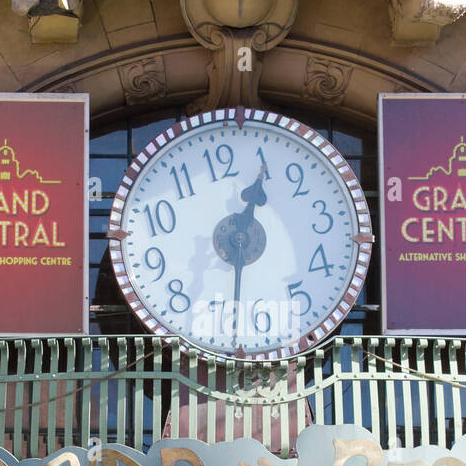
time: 1:05
